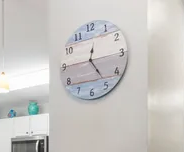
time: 12:24
